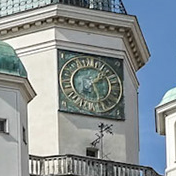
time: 5:08
